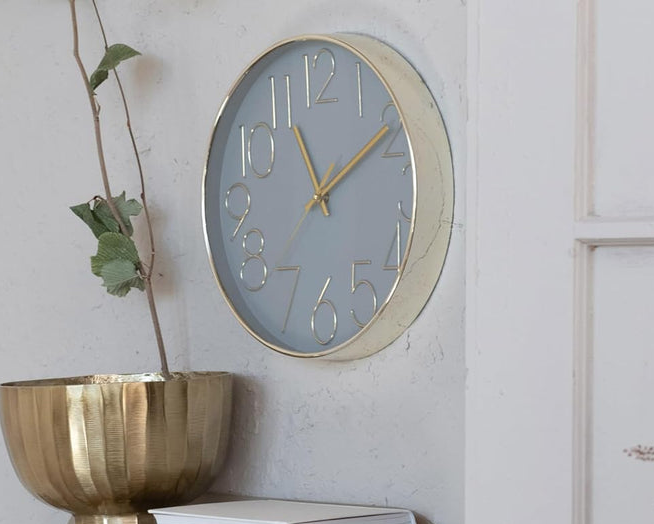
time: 11:09
